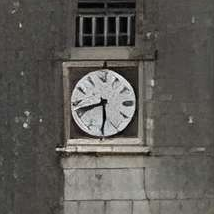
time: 8:29
